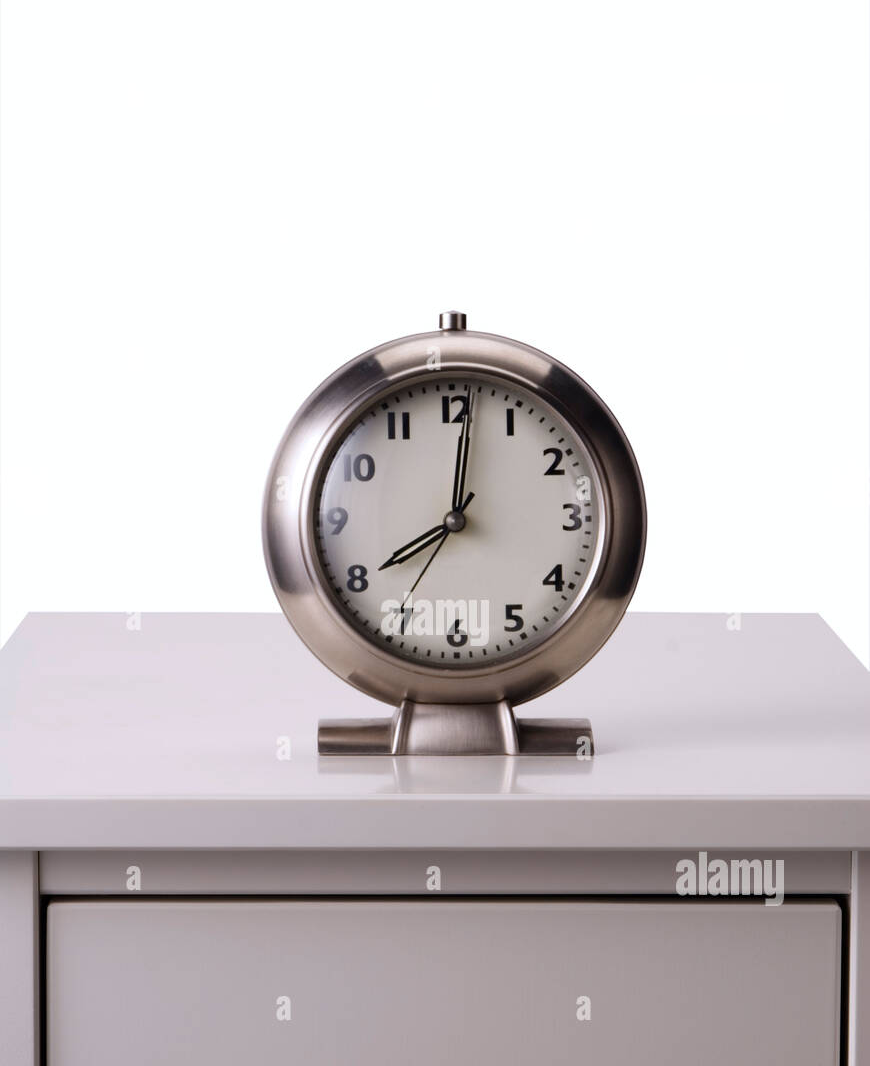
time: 8:01
